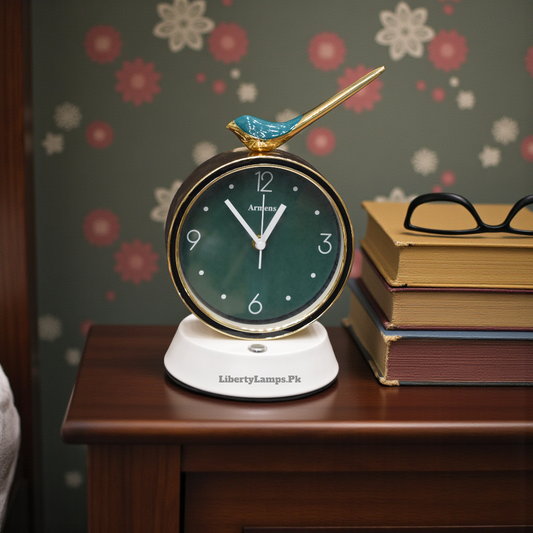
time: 12:52
